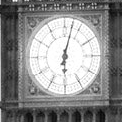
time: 6:02
